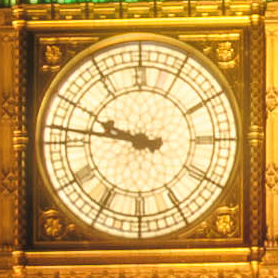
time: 9:46
